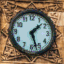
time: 1:27
